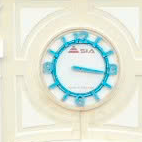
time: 3:16
